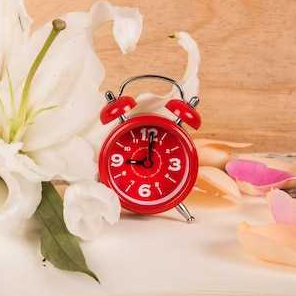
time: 9:01
